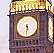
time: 5:30
